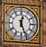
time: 12:26
